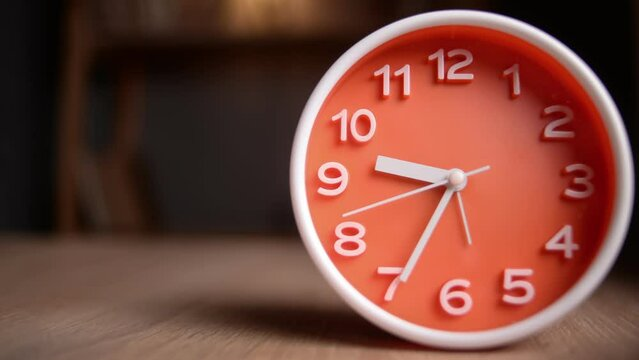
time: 9:34
